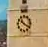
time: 10:20
